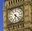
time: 6:23
